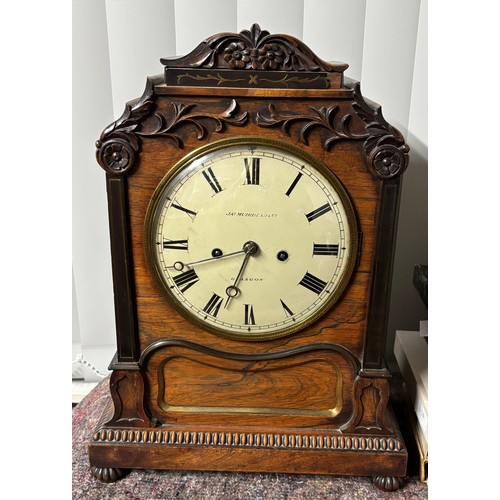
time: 8:33
